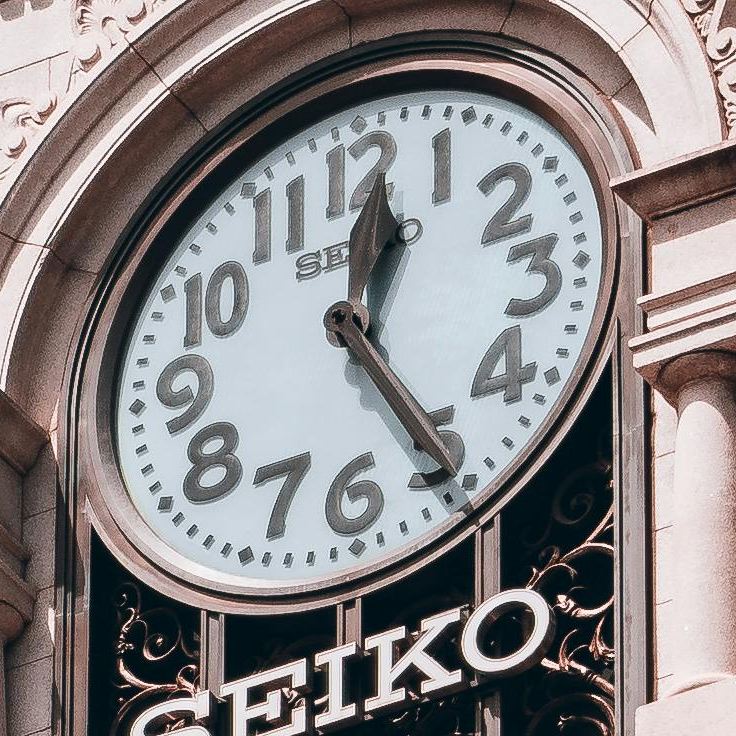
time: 12:24
